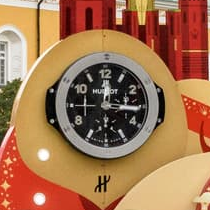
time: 12:15
